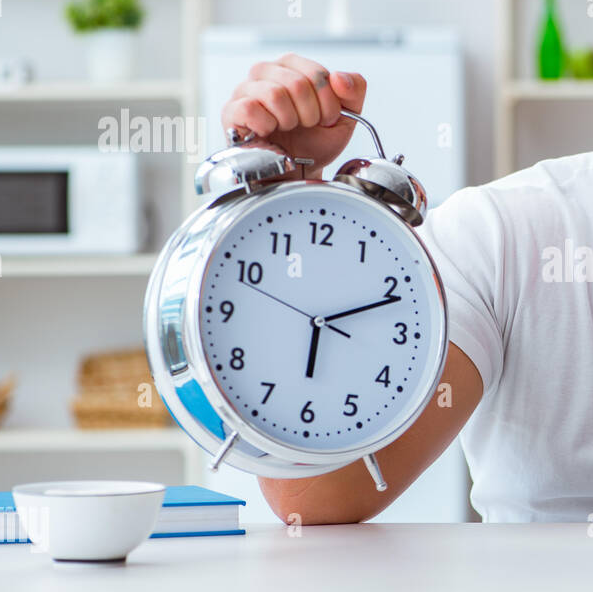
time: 6:11
